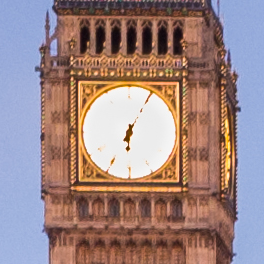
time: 6:04
